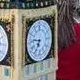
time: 6:46
